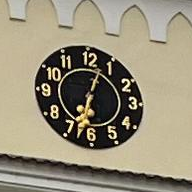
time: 12:32
